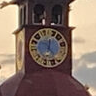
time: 12:23
